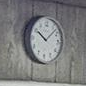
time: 10:07
